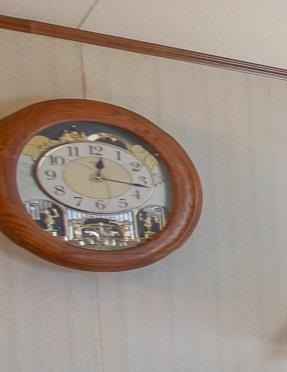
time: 12:16
